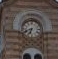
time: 6:41
